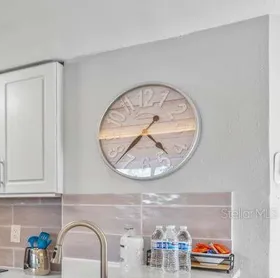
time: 4:37
